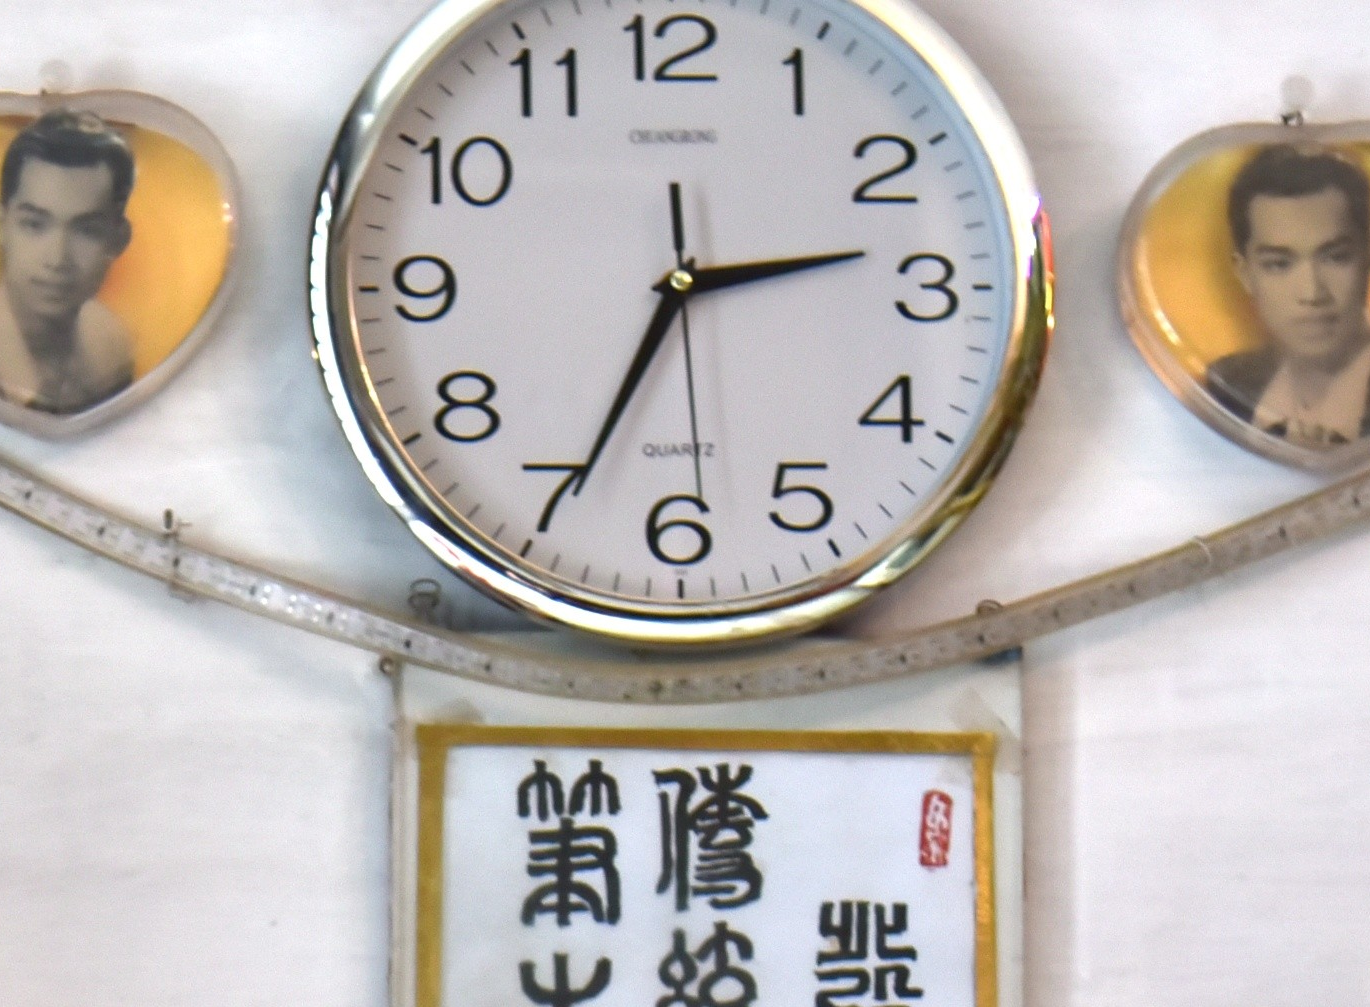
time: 2:34
